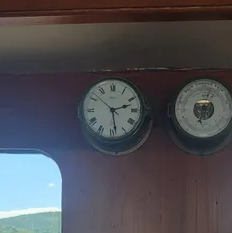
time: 2:28
